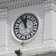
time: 11:55
